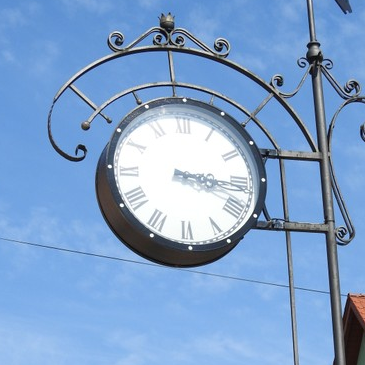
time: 3:16
